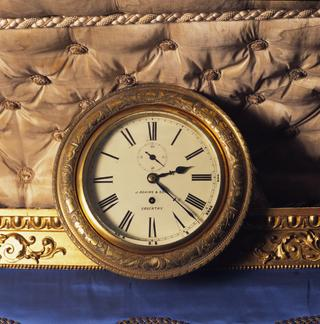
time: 2:22
